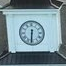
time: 6:31
